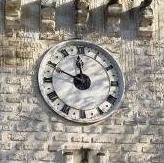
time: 11:48
